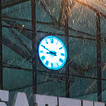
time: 8:49
